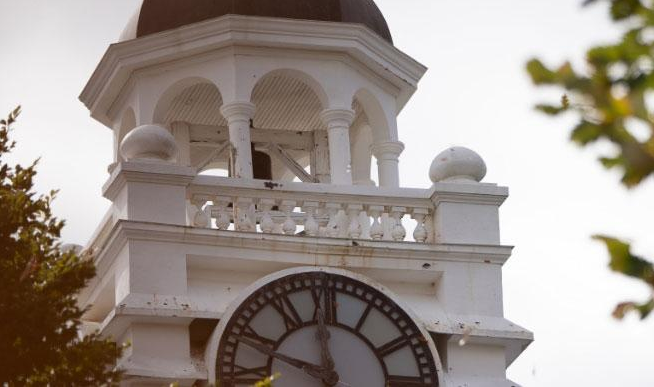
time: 11:48
